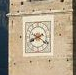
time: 8:20
